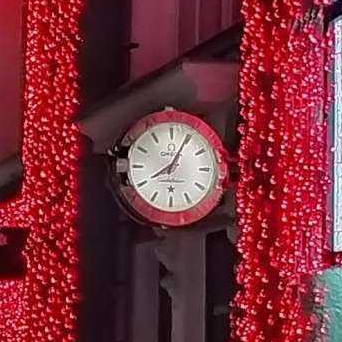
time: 8:04
